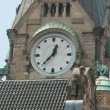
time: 12:37
